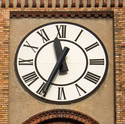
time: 11:34
